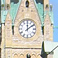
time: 12:09
